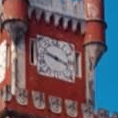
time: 3:48
